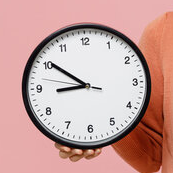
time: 8:50
